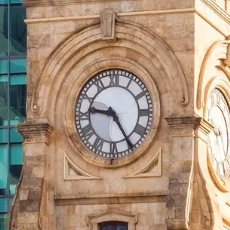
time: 9:24
